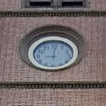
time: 9:00
